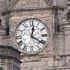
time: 12:20
